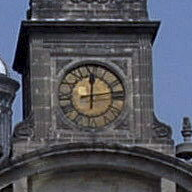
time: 12:13
